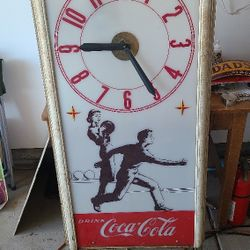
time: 4:45
